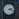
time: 2:18
